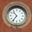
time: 10:36
